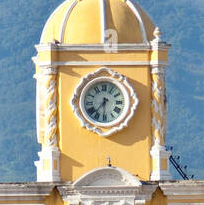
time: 7:30
